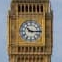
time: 10:14
